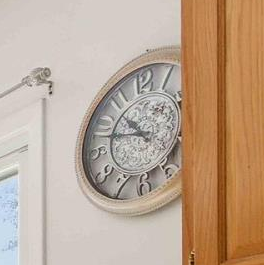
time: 10:47
